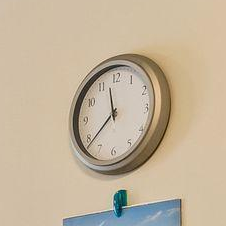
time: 11:38
